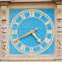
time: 4:40
